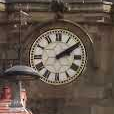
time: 2:09
